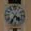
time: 4:35
